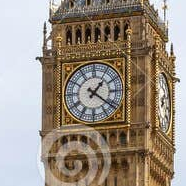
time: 1:21
